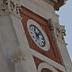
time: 11:07
